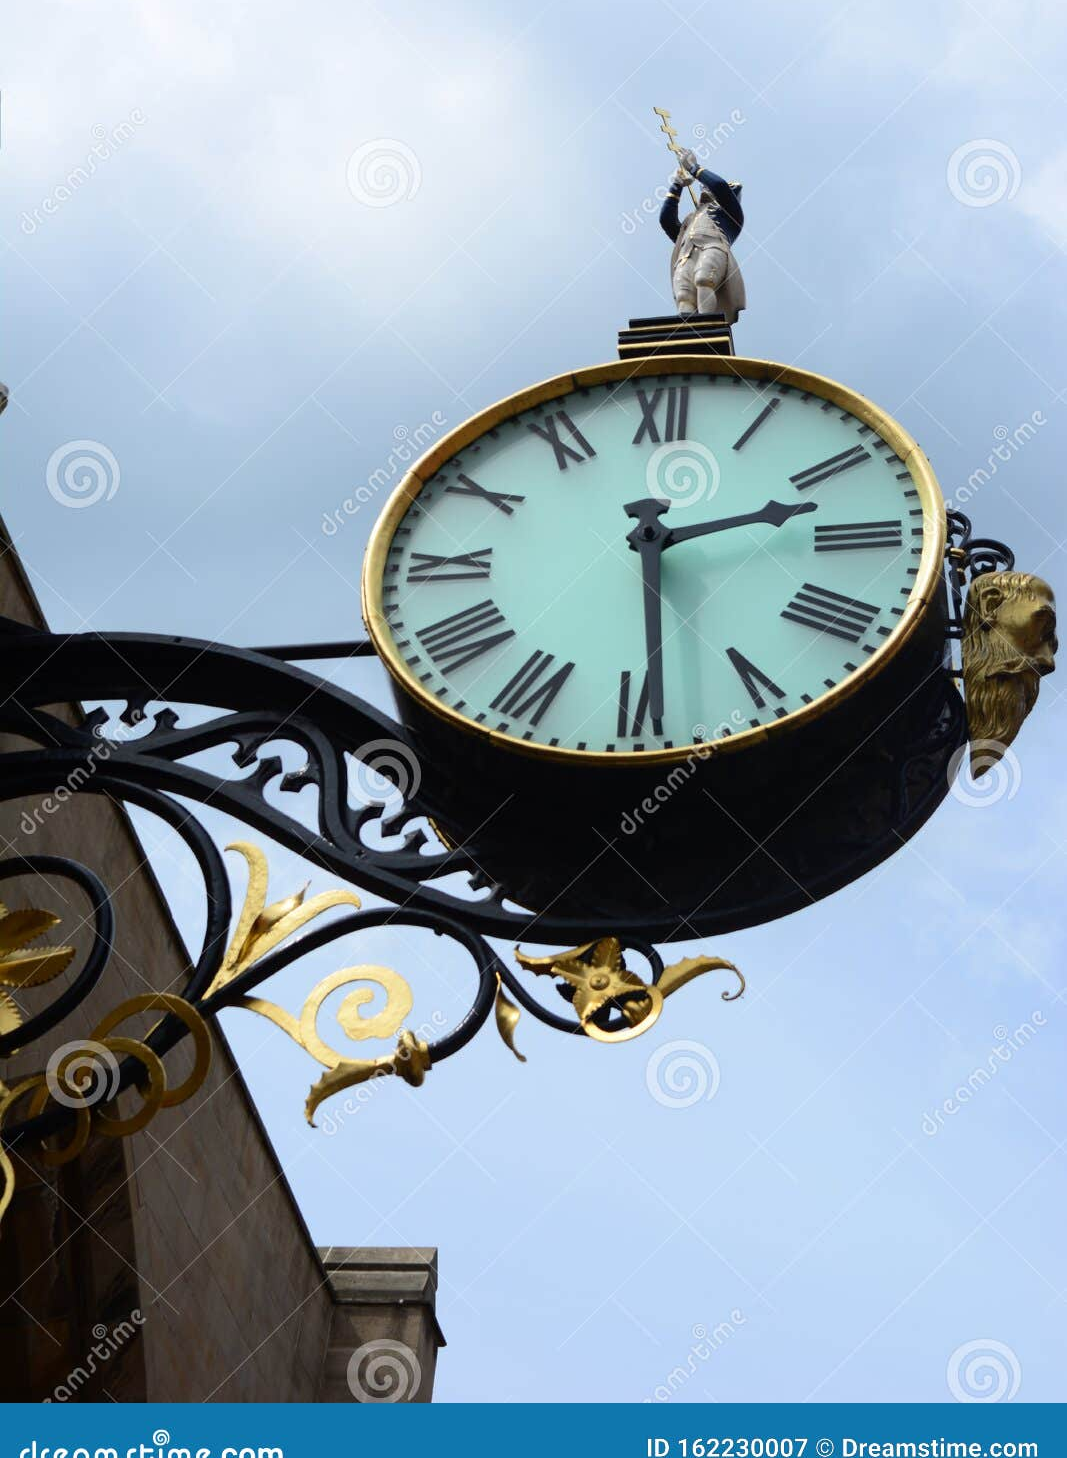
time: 2:29
